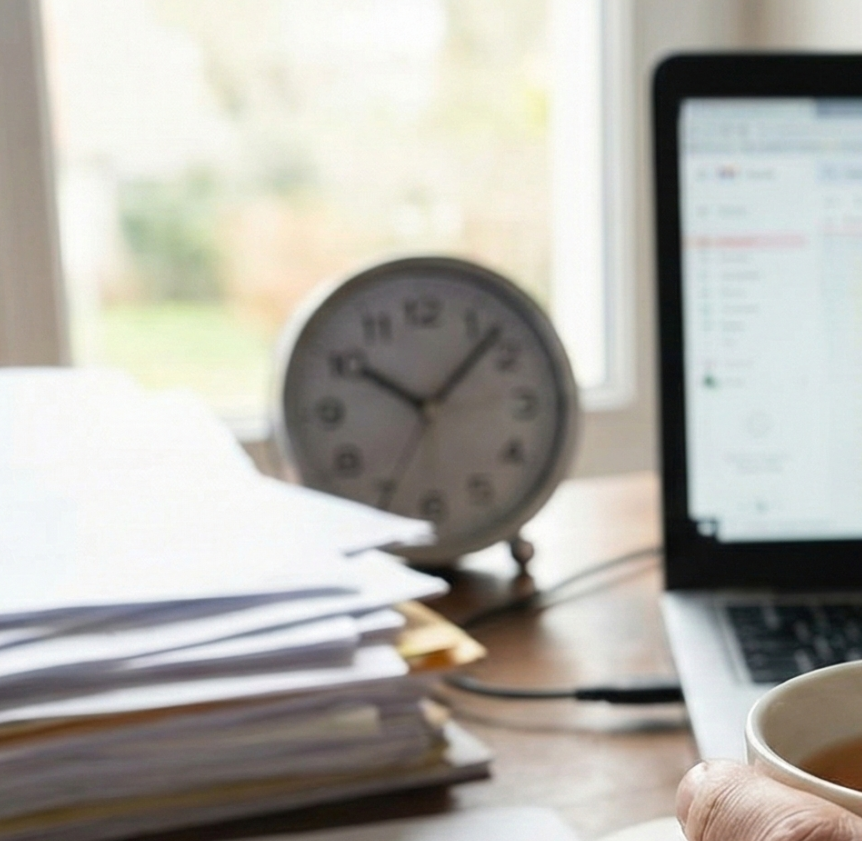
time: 10:07
